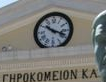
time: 10:18
